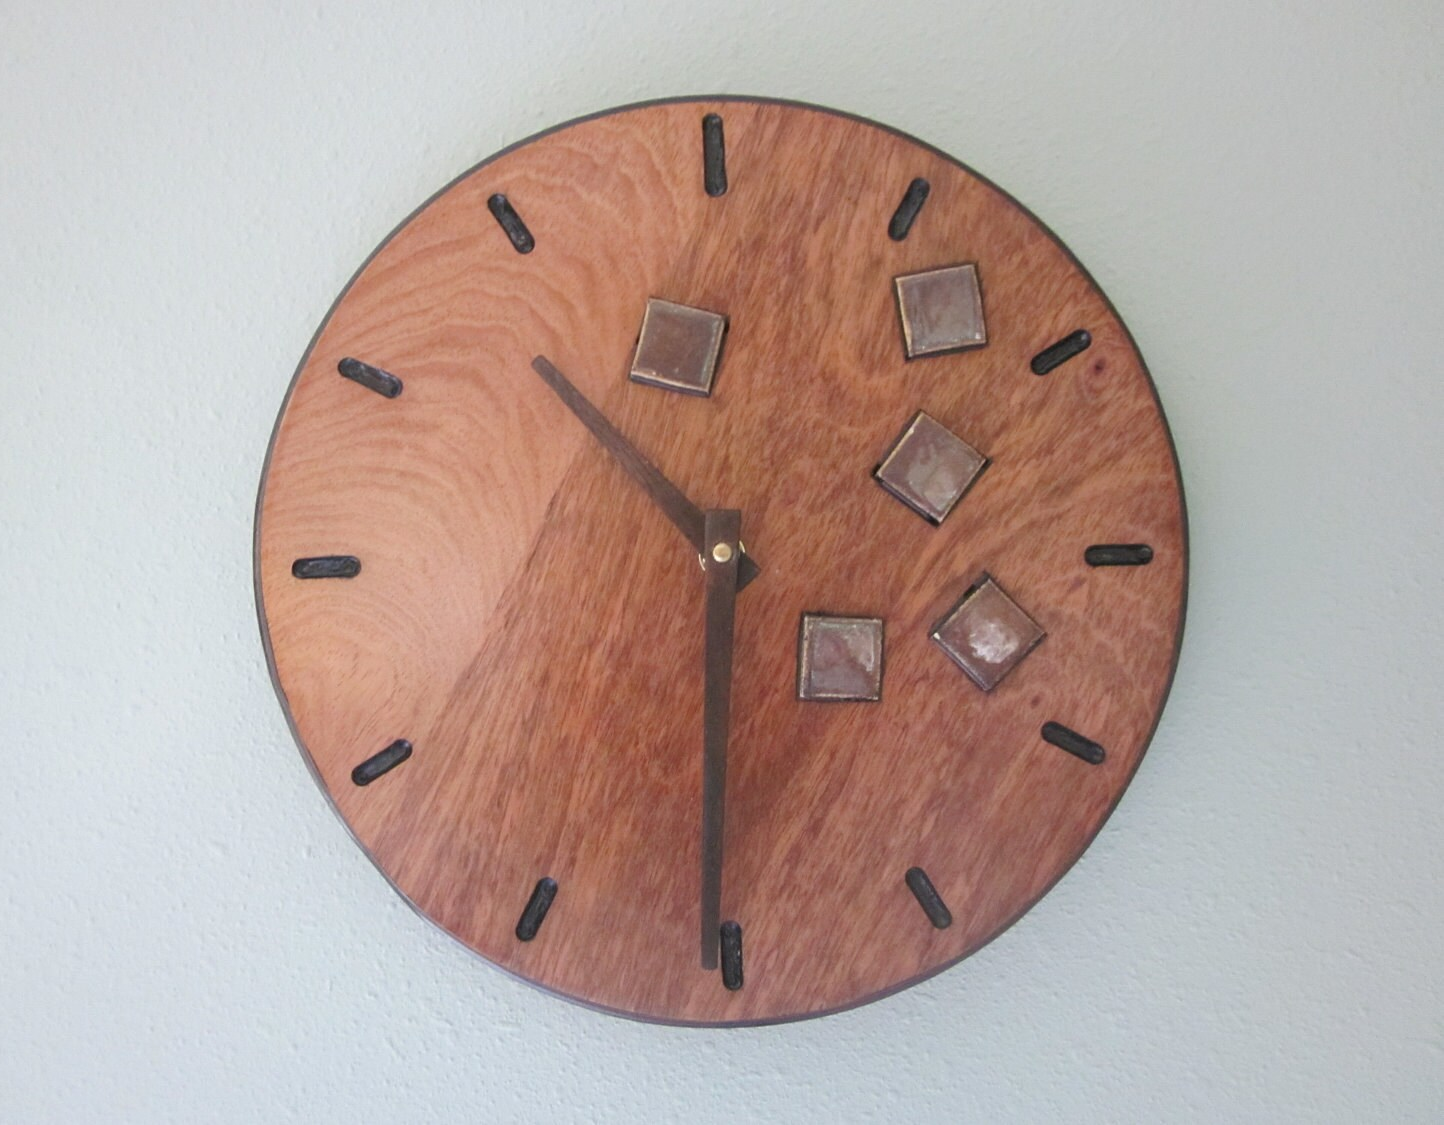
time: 10:30
